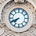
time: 7:41
